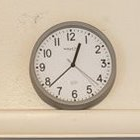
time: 12:38
